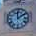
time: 12:09
